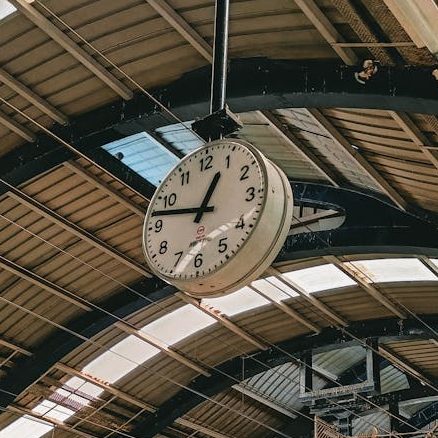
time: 12:47
